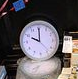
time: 10:00
